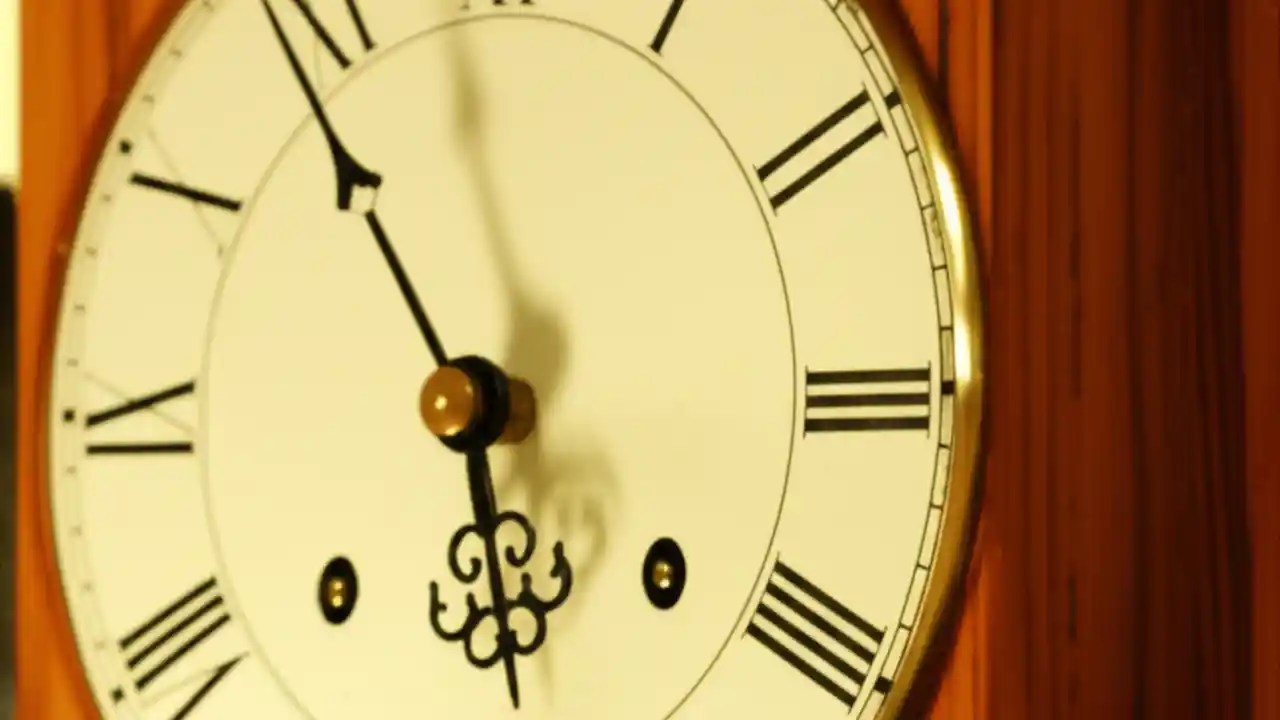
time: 5:54
